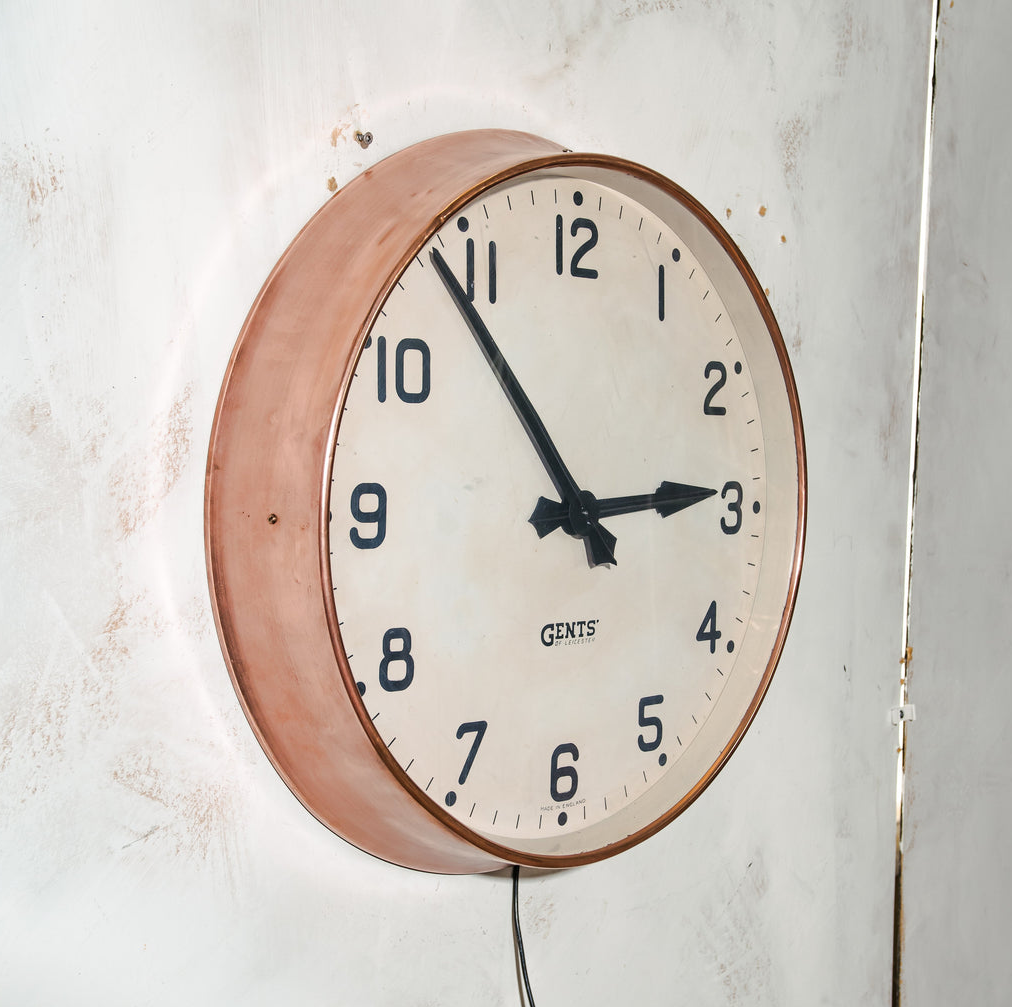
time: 2:53
